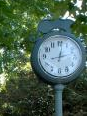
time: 9:01
